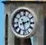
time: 2:27
